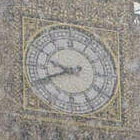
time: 9:41
